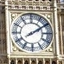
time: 2:09
